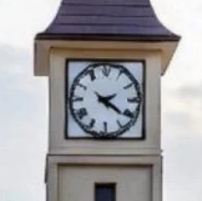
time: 2:21
